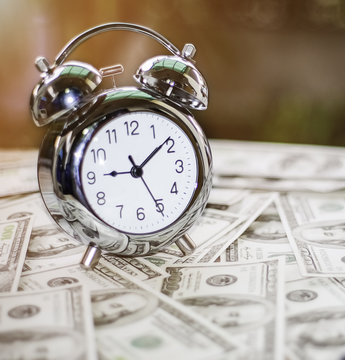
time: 9:08
